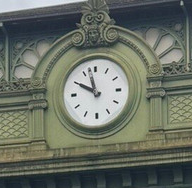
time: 9:57
